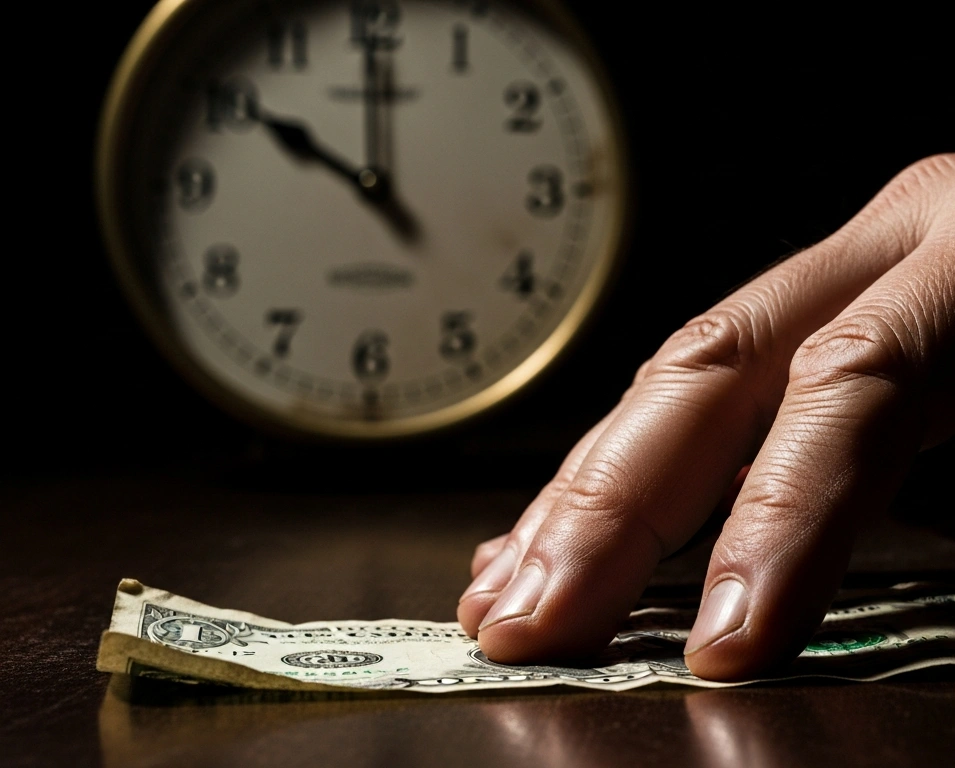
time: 9:59
